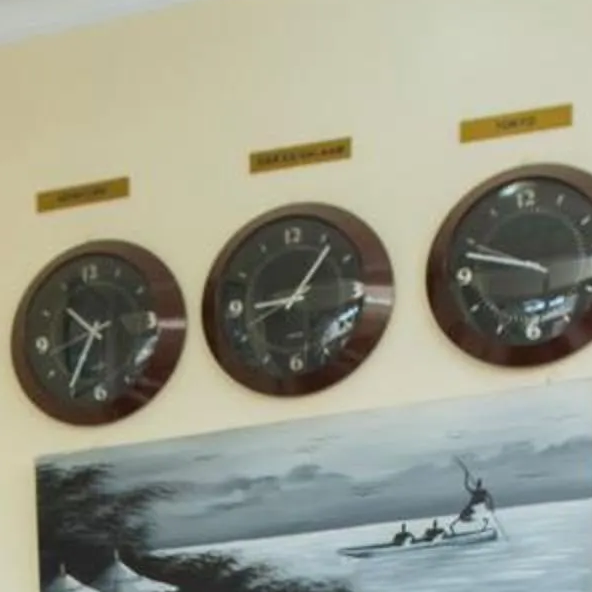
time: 9:06
